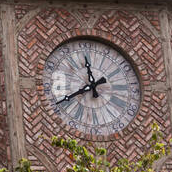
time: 11:40
